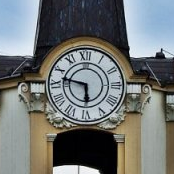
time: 5:47
